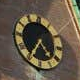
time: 4:35
